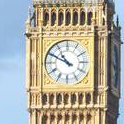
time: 10:49
